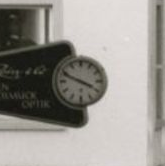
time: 3:48
